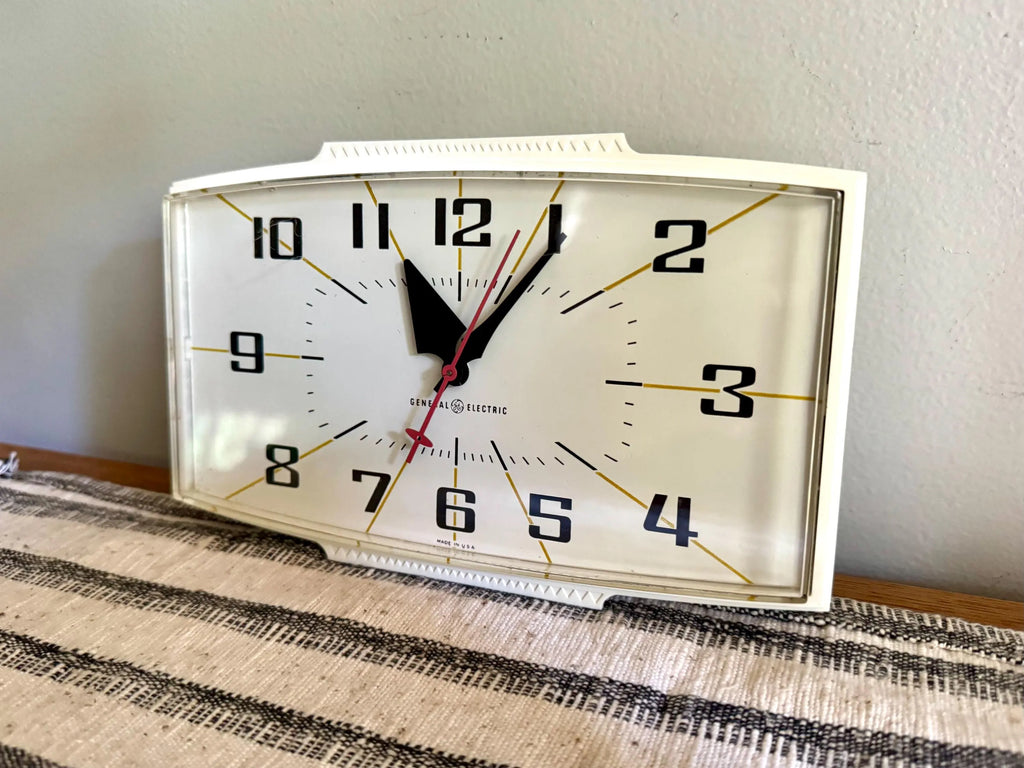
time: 11:05
